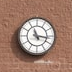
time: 11:16
